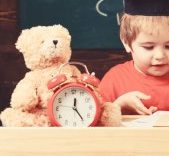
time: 12:24
